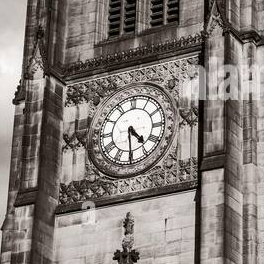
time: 4:29
